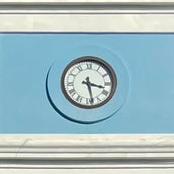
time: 3:28
